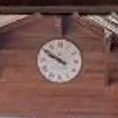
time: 9:50
